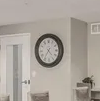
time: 4:35
